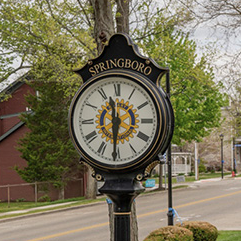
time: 11:30
